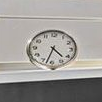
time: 4:33
